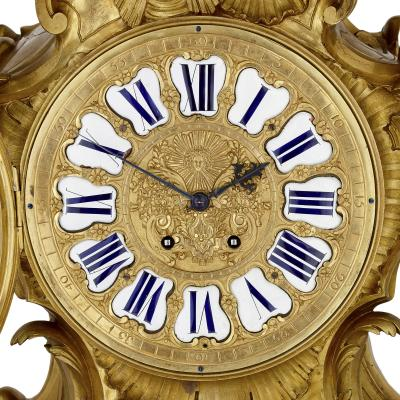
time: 1:50
